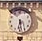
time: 6:28
